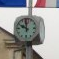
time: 9:59
